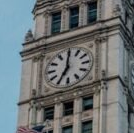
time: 7:00
